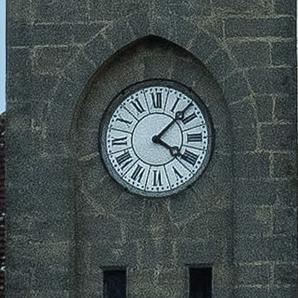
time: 4:07
